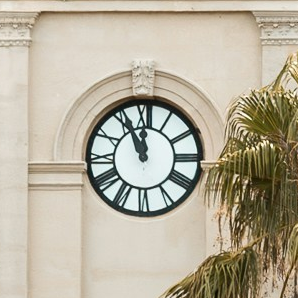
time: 11:55
